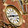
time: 8:12
